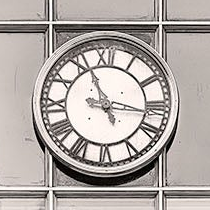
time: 11:16
